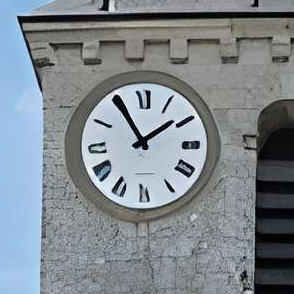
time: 1:54
